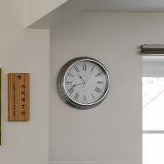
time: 10:42
